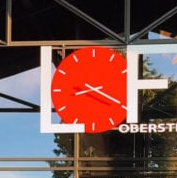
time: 8:19
